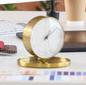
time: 12:07
